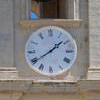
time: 1:39
